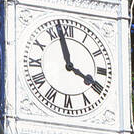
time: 3:57
